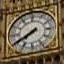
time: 7:40
